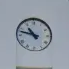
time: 10:47
